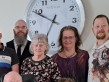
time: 6:49
